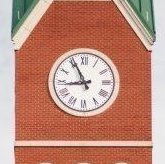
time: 8:55
